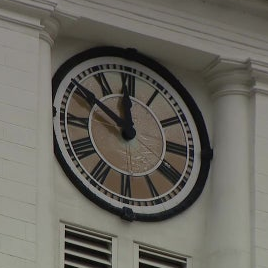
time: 11:50
